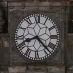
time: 8:23
